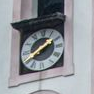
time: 1:39
